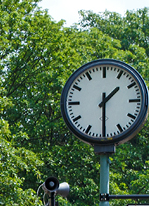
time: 1:30
